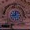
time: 8:59
